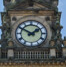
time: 1:50
